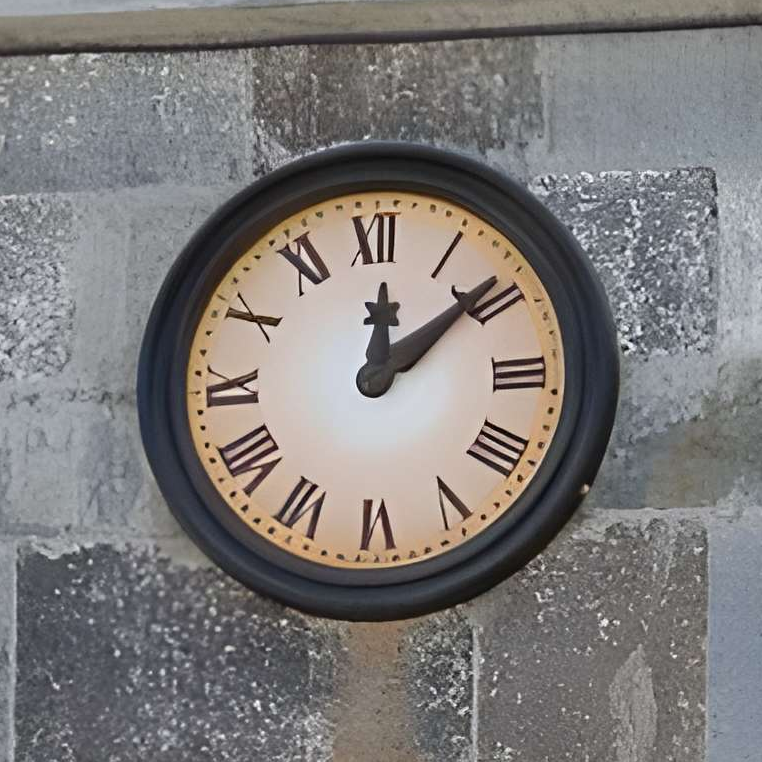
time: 12:08
